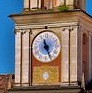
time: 11:26
